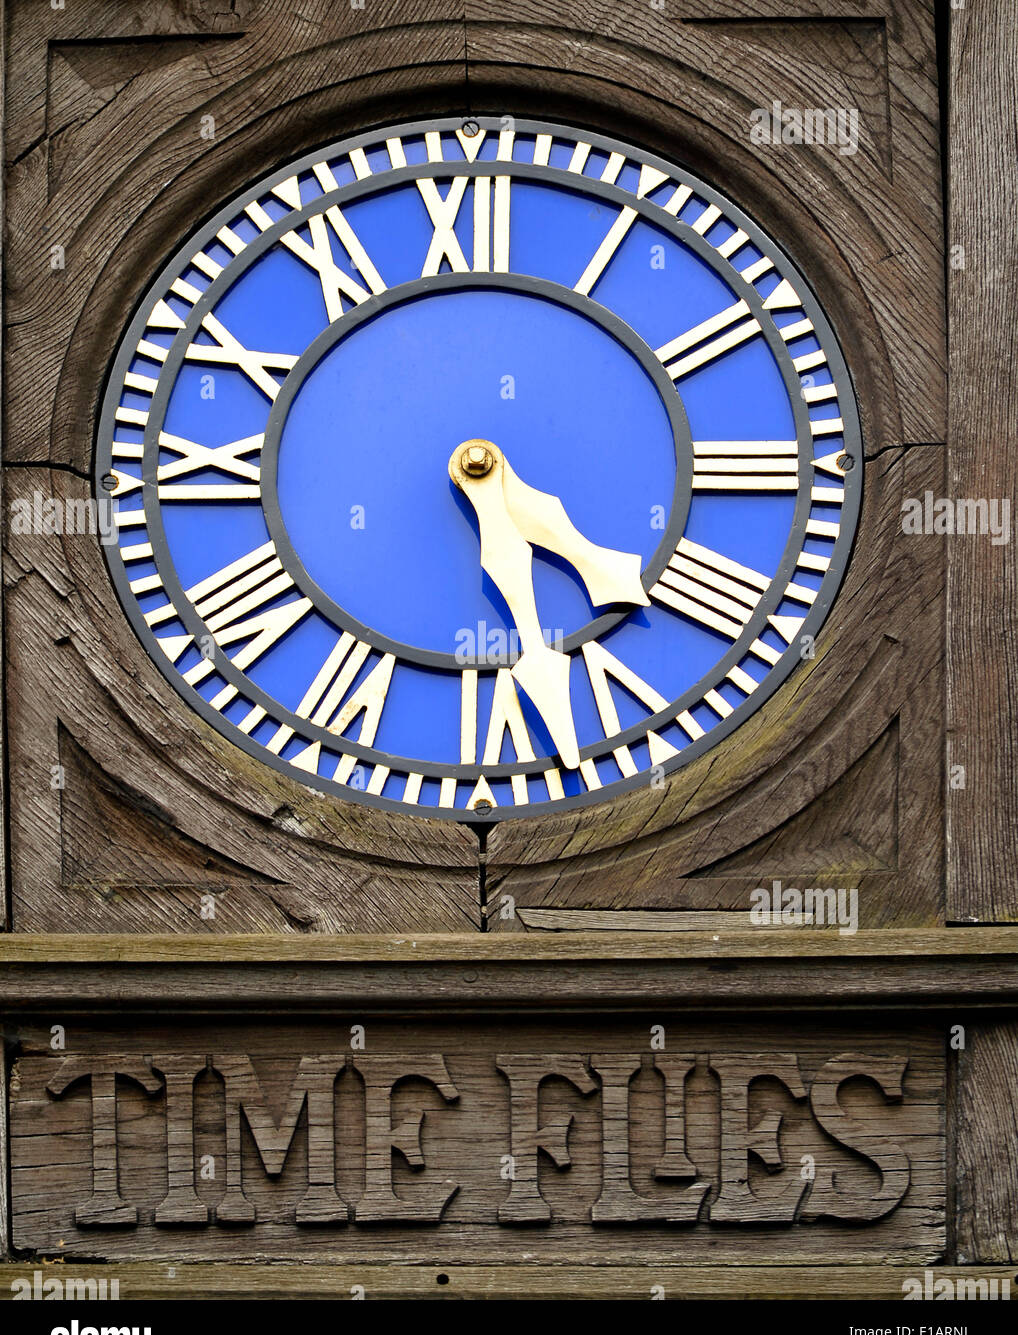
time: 4:27
